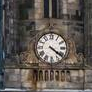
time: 4:21
